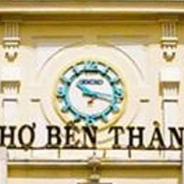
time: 10:17
